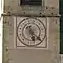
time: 5:21
